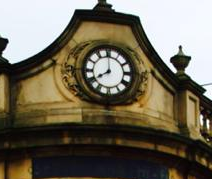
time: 7:59
